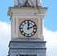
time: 12:11
